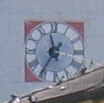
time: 11:36
